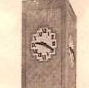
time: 9:20
